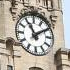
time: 11:09
